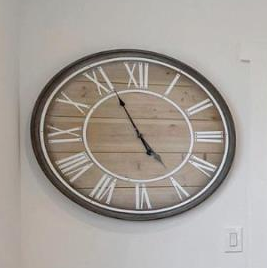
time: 4:56
